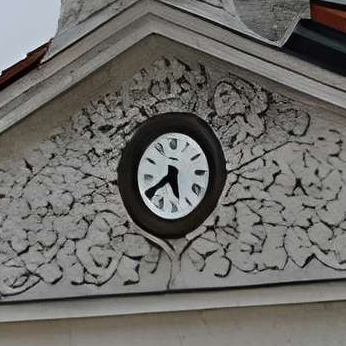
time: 5:40
